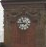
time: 10:43
